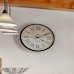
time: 4:10
